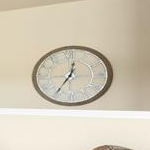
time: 12:35
